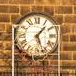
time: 1:26
